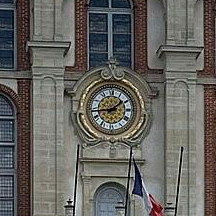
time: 1:43
